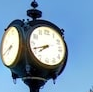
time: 7:41
